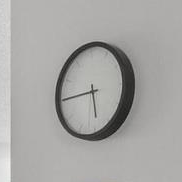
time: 5:45
